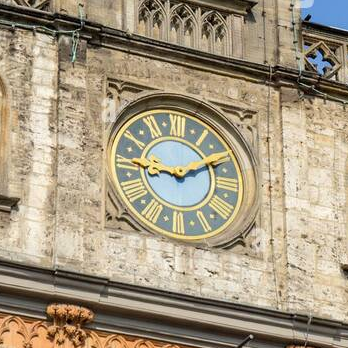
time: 9:10
